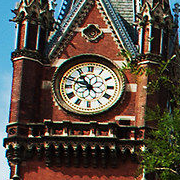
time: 10:48
